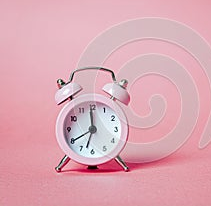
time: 7:59
